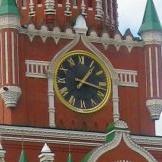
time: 1:17
